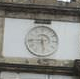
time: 5:44
